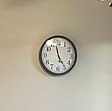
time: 4:57
